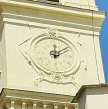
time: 12:09
